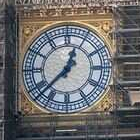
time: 12:37
